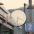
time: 6:18
